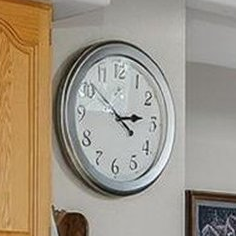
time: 2:51
